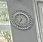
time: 6:34
